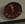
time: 11:35
